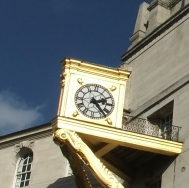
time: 2:23
